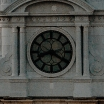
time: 8:20
